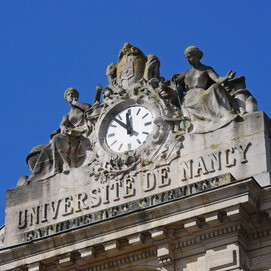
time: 11:52
